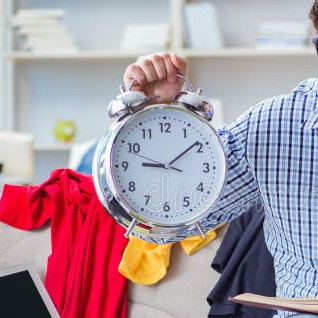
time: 9:09
